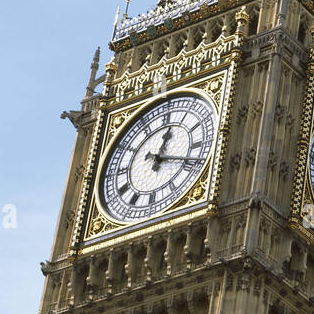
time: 12:18
